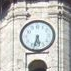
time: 5:32
